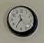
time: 11:35
